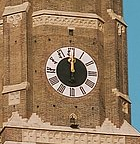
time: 12:00
